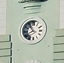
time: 7:54
